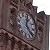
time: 12:23
